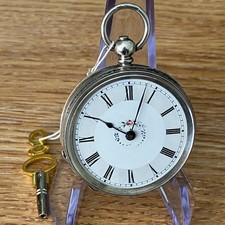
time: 10:03
